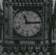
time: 11:14
